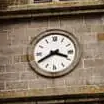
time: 3:40
